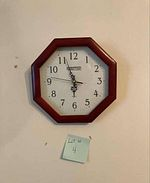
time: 5:56
